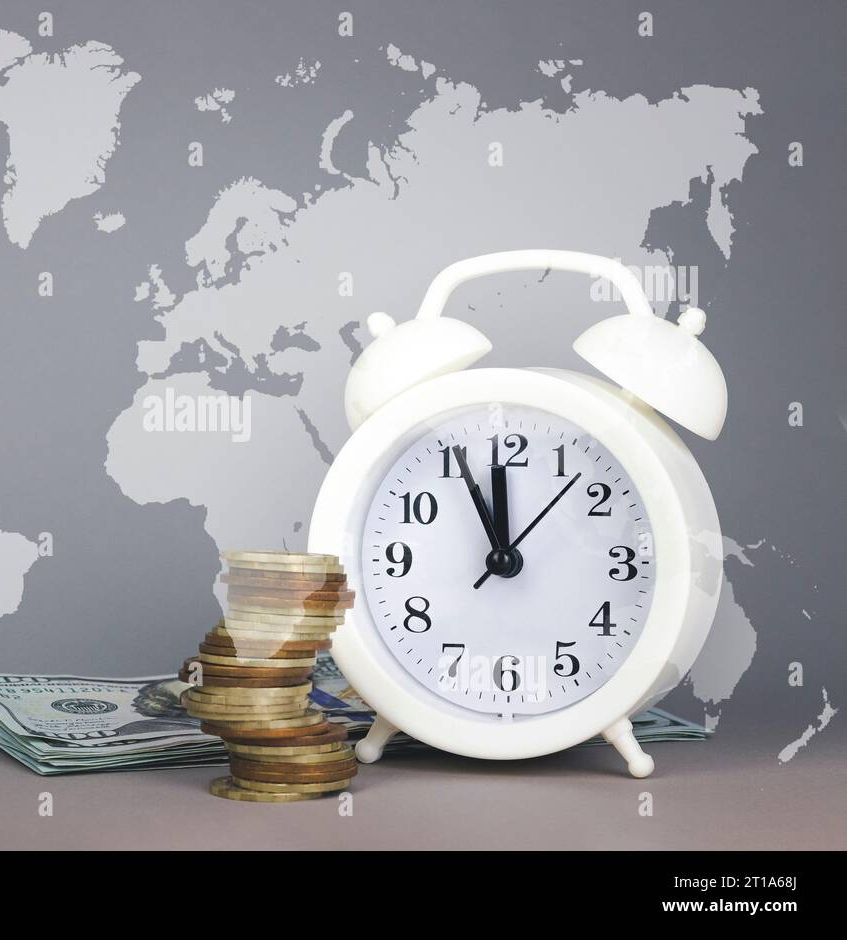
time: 11:55
